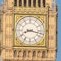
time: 8:17
